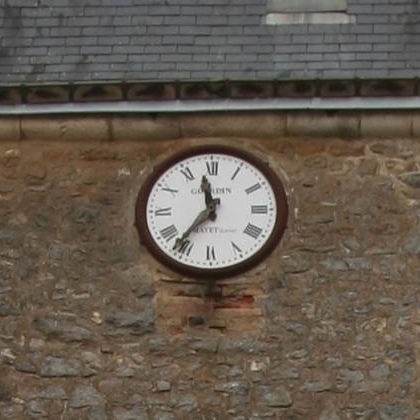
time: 11:36
